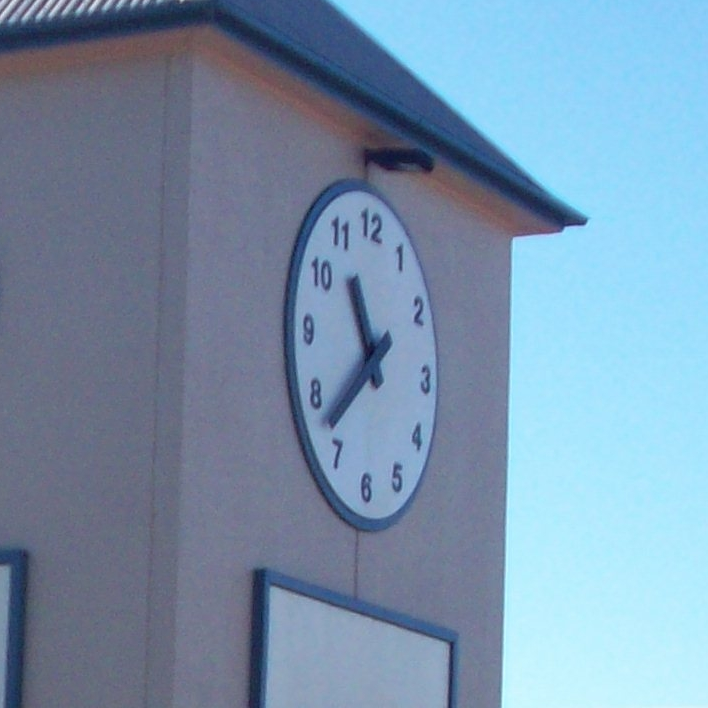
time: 10:37
